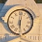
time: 6:01
